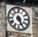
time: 5:26
